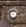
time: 9:01
